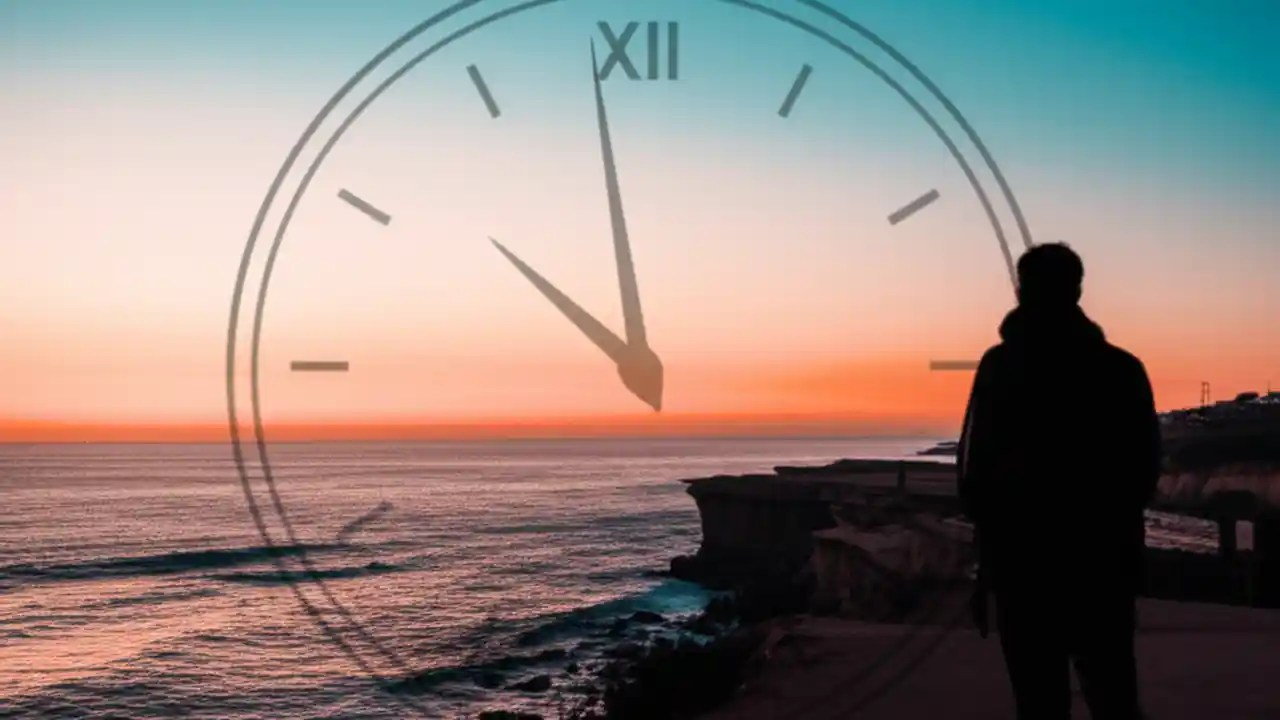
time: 9:58
